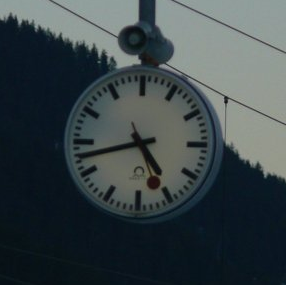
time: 4:42
